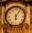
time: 6:05
